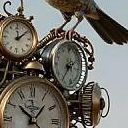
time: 2:36
